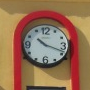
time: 10:18
